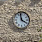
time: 3:58
